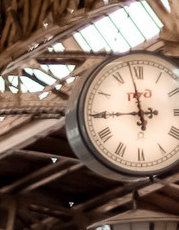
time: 11:44
